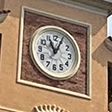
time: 11:04
